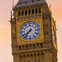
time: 7:37
